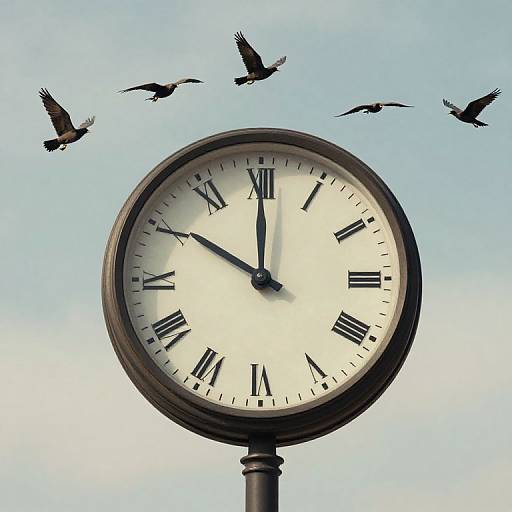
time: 9:59
